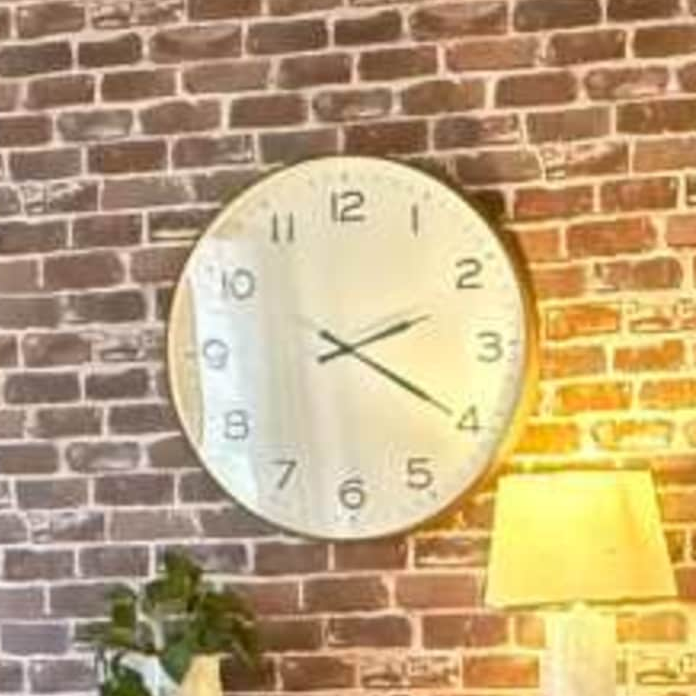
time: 2:20
